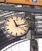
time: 11:12
